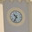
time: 10:34
